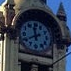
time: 11:40
